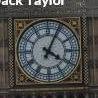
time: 4:04
